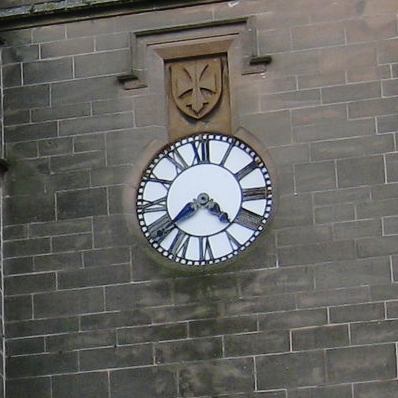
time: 4:38
